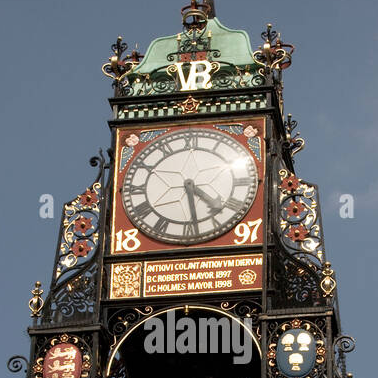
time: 4:28
